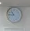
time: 10:45
